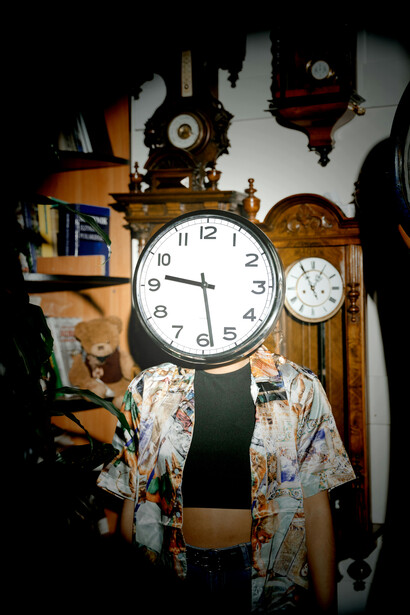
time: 9:28
